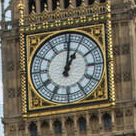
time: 1:01
